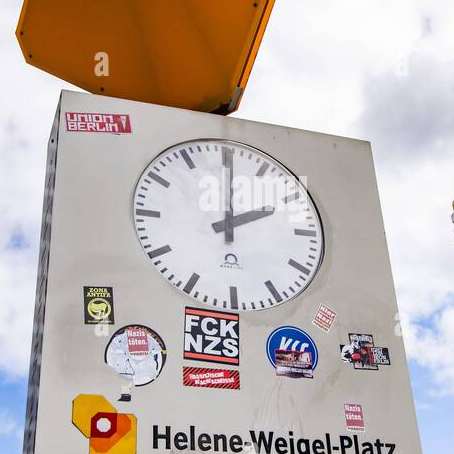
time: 2:00
